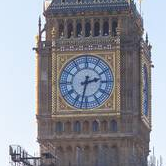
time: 2:32
